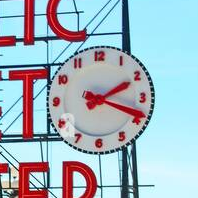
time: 2:18
